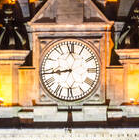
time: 8:43
